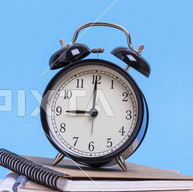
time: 9:00
